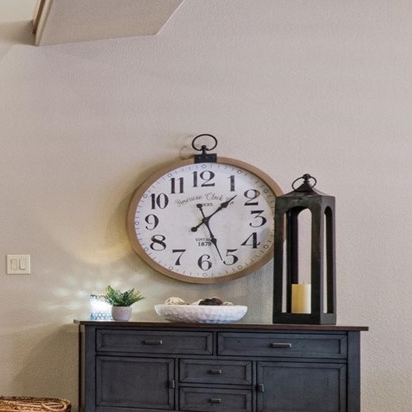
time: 1:26
